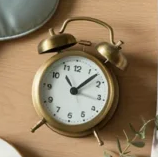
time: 11:07
